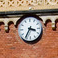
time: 3:35
